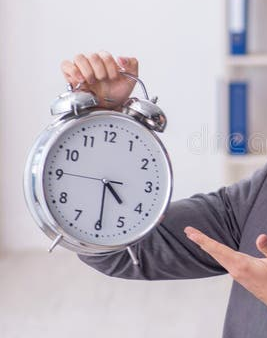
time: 4:29
